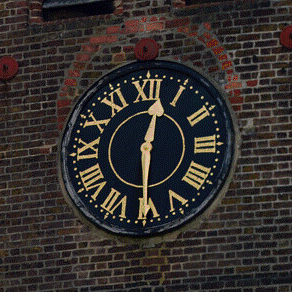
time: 12:29
